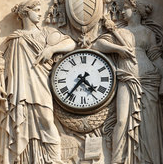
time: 4:36
